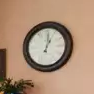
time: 1:01
